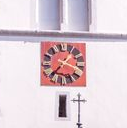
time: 7:17
